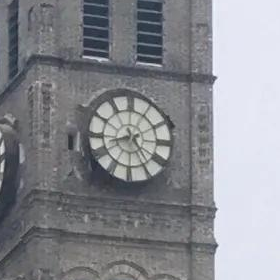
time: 8:24
